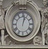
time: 1:02
